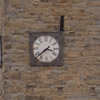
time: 3:38
